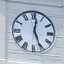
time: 12:26
